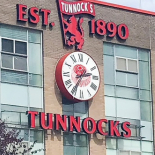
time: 2:35
